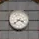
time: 3:38
